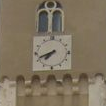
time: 7:41
